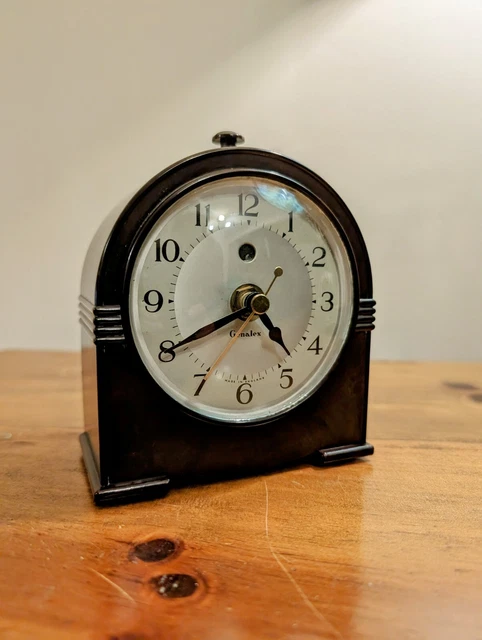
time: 4:40
